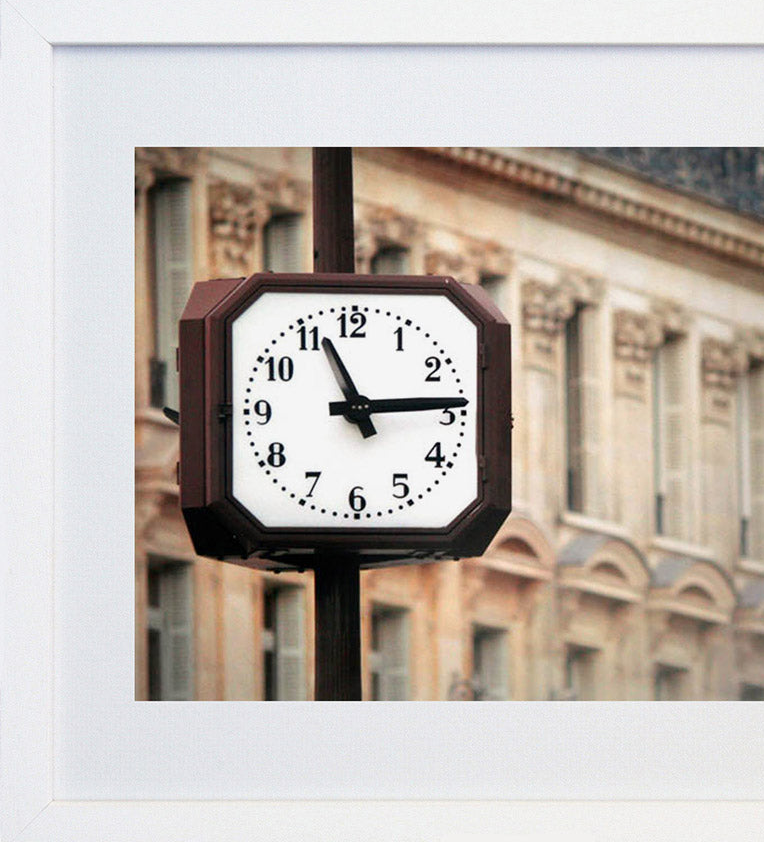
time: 11:13
